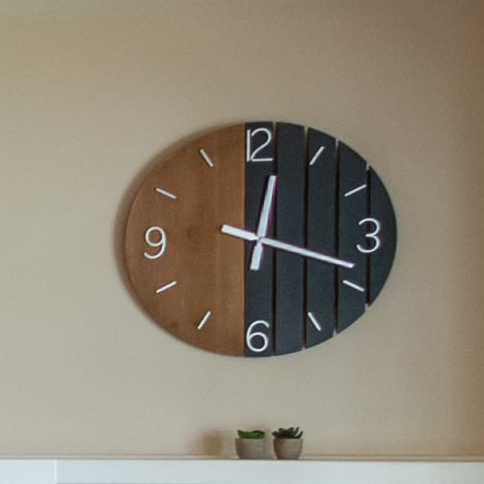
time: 12:18
